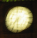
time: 7:30
